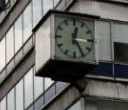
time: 12:24
